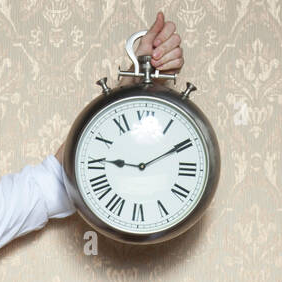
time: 9:10
